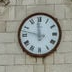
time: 11:47
